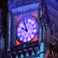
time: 9:56
